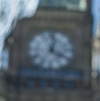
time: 4:01
